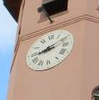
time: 8:09
